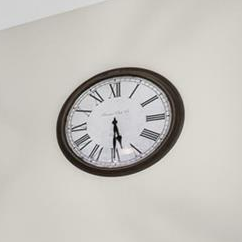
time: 5:29
